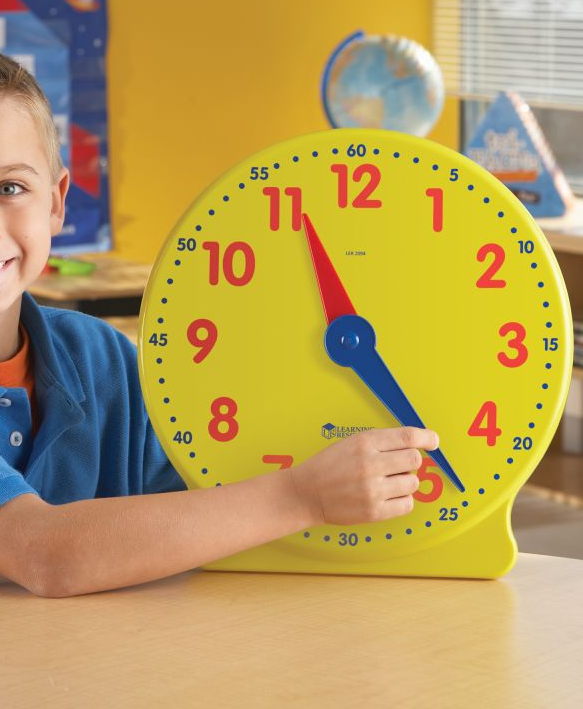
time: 4:23
